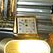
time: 11:49
